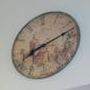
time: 8:12
